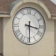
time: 3:29
